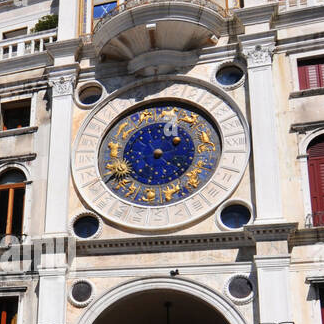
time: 2:21
